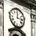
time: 12:13
